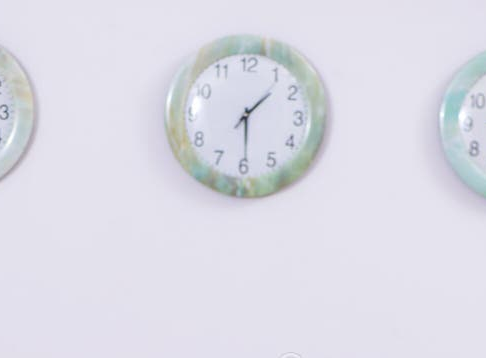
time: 1:29
